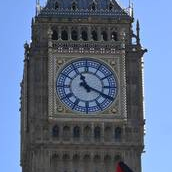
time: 11:19
